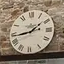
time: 1:43
